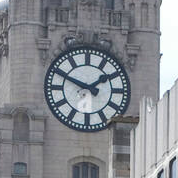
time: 1:49
